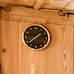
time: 1:38
